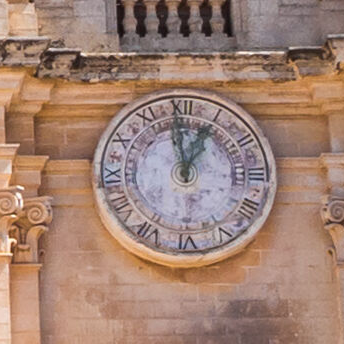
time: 12:59
